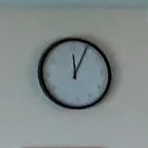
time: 12:04
